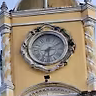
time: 6:10
